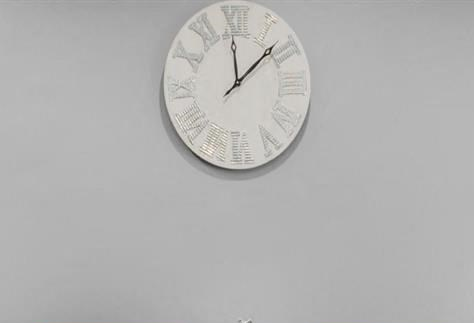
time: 12:08
